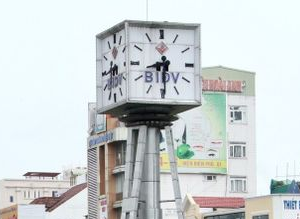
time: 8:29
